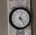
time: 12:23
